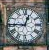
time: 12:45
